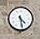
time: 4:28
